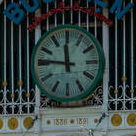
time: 11:46
